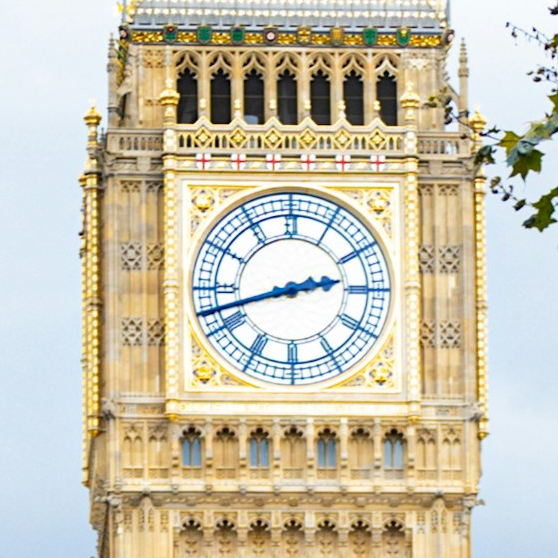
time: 2:42
